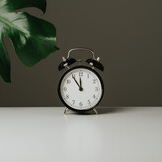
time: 11:54
